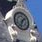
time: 1:33
